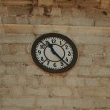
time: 11:22
